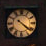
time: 4:21
